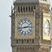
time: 2:43
